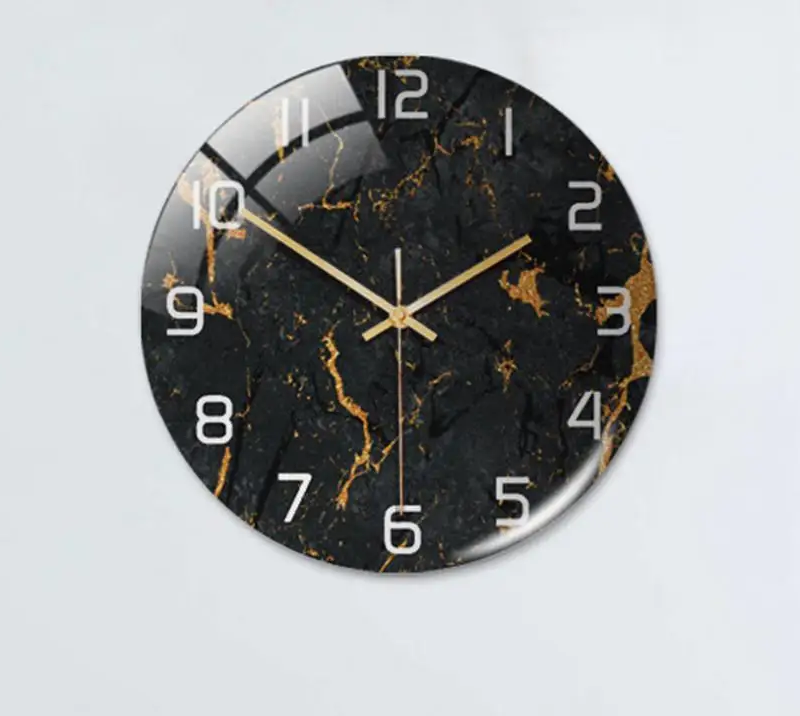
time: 1:50
